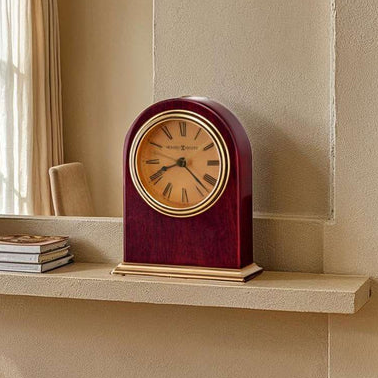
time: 8:21
